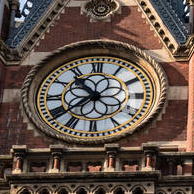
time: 10:38
